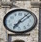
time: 7:07
